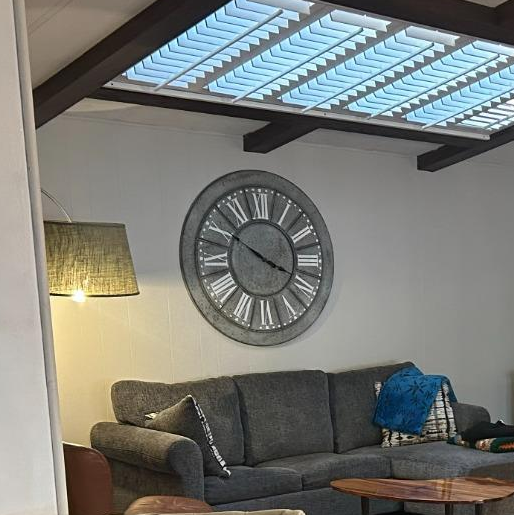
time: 3:50
